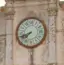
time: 7:41
